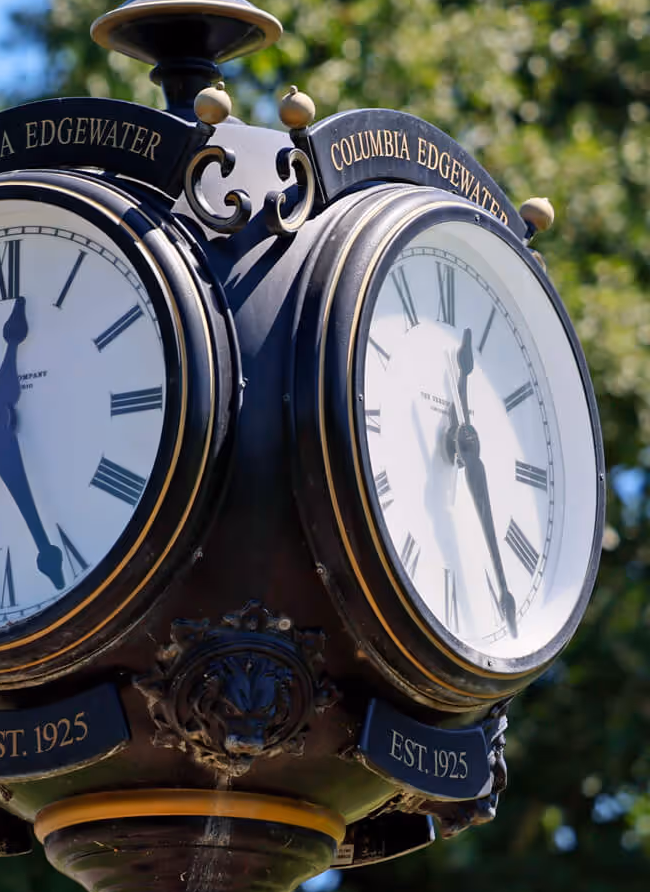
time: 12:24
